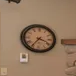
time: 3:35
